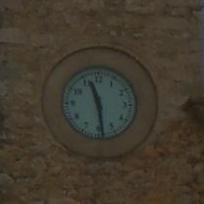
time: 11:28
